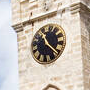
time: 11:21
